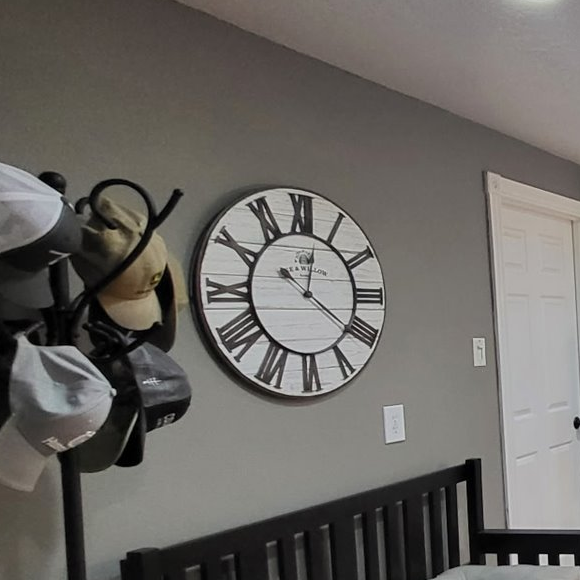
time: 12:21
